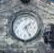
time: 1:25
